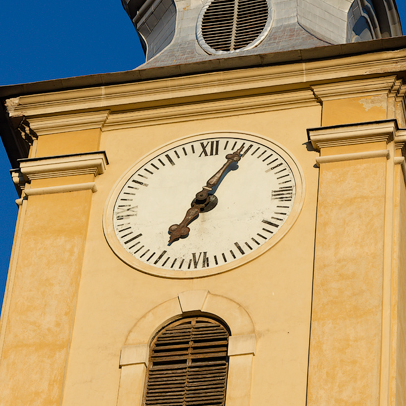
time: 7:04
